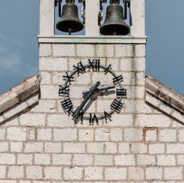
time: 2:35
